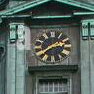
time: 1:39
